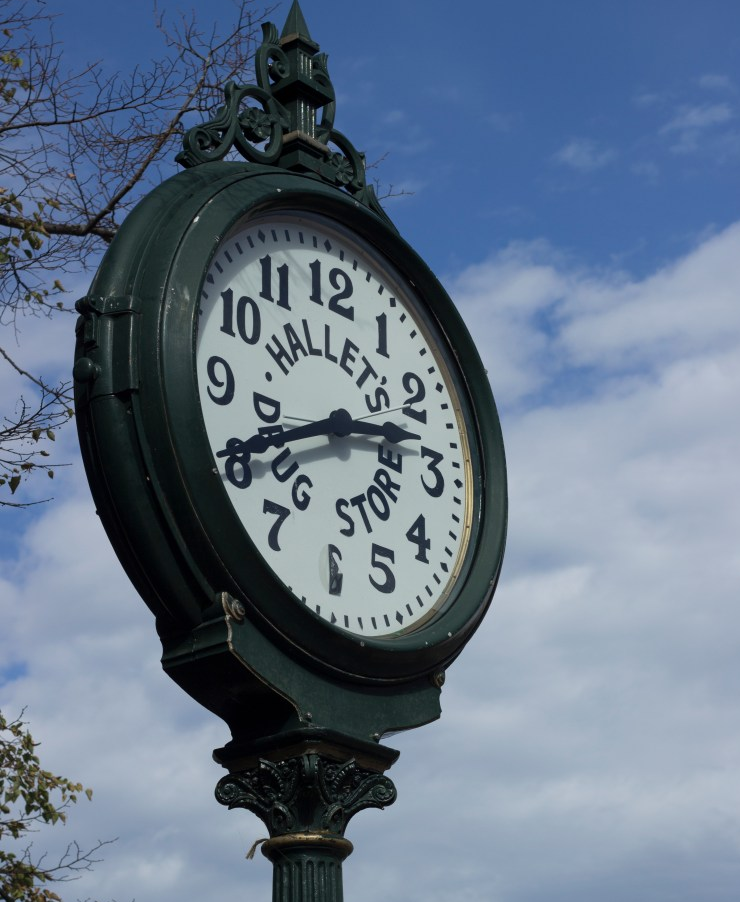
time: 2:40
